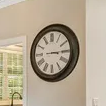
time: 3:14
